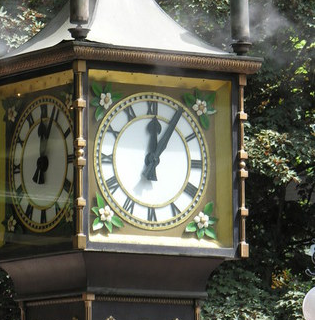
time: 12:05
